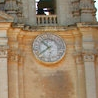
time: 10:38
